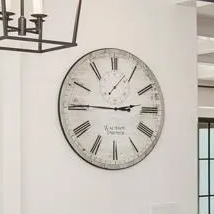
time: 2:45
